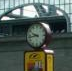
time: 9:43
